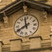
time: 11:40
